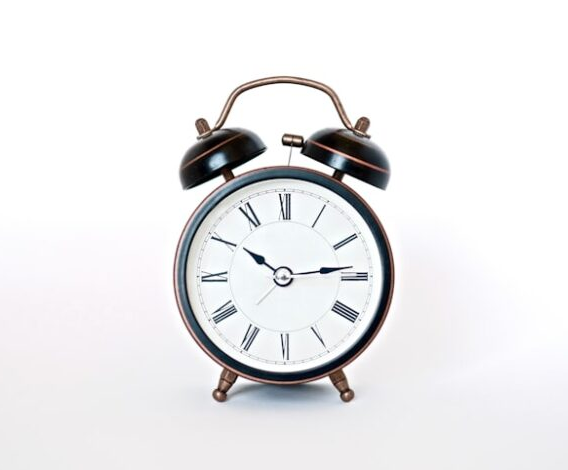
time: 10:13
